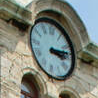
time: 3:13
